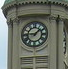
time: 9:07
